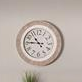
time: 10:45
